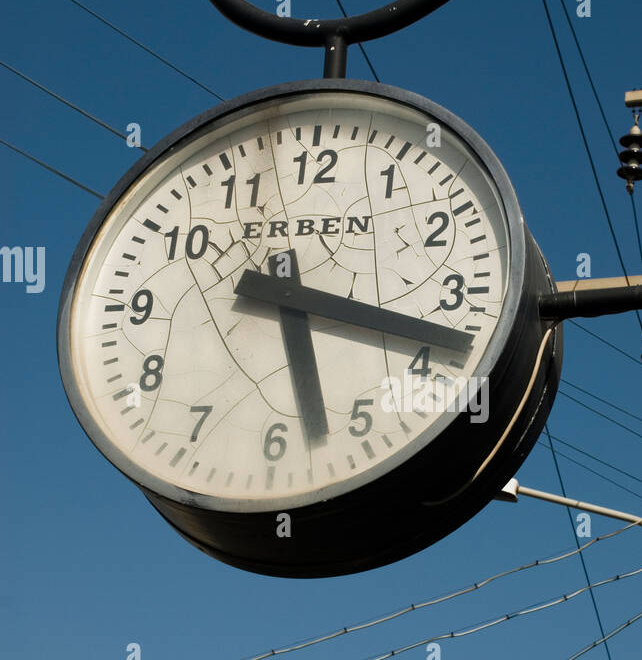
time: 5:17
